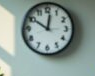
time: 10:01
